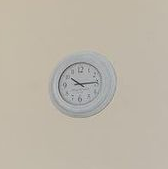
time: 10:14
